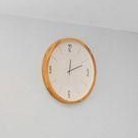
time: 12:11
